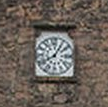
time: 8:05
